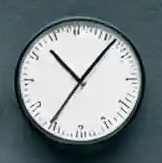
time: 10:35
